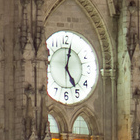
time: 5:02
